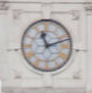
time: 11:11
